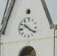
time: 10:21
